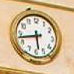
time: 5:42
